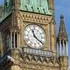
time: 11:21
